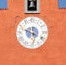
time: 5:48
